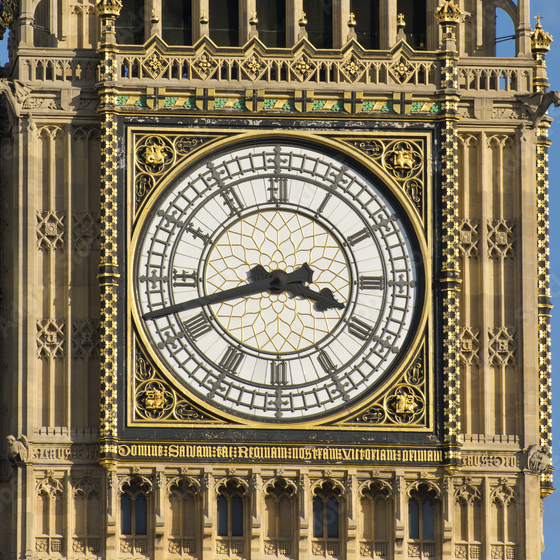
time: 3:42
